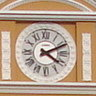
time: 4:10
